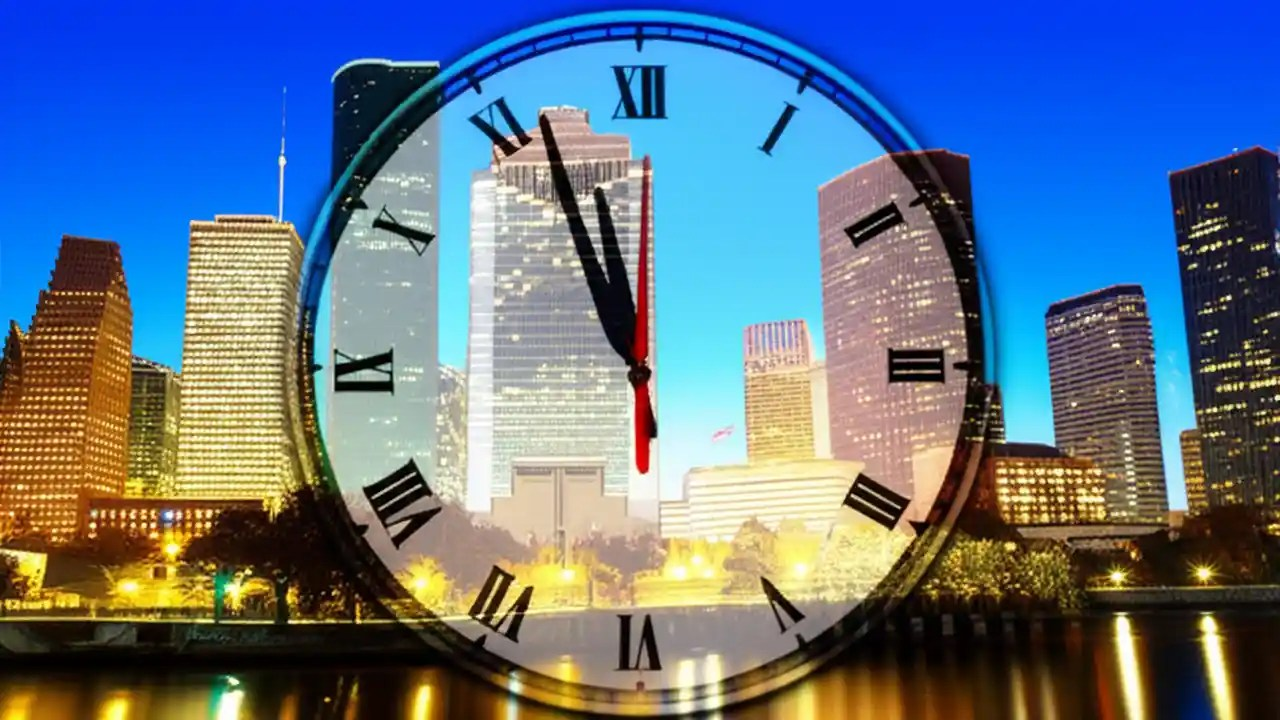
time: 10:56
